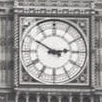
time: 2:50
